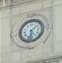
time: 6:08
